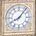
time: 8:06
